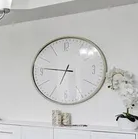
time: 6:46
